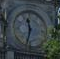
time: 11:32
